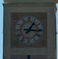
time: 1:16
